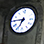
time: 6:45
